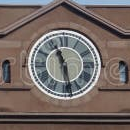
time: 11:28
